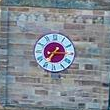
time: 7:15
